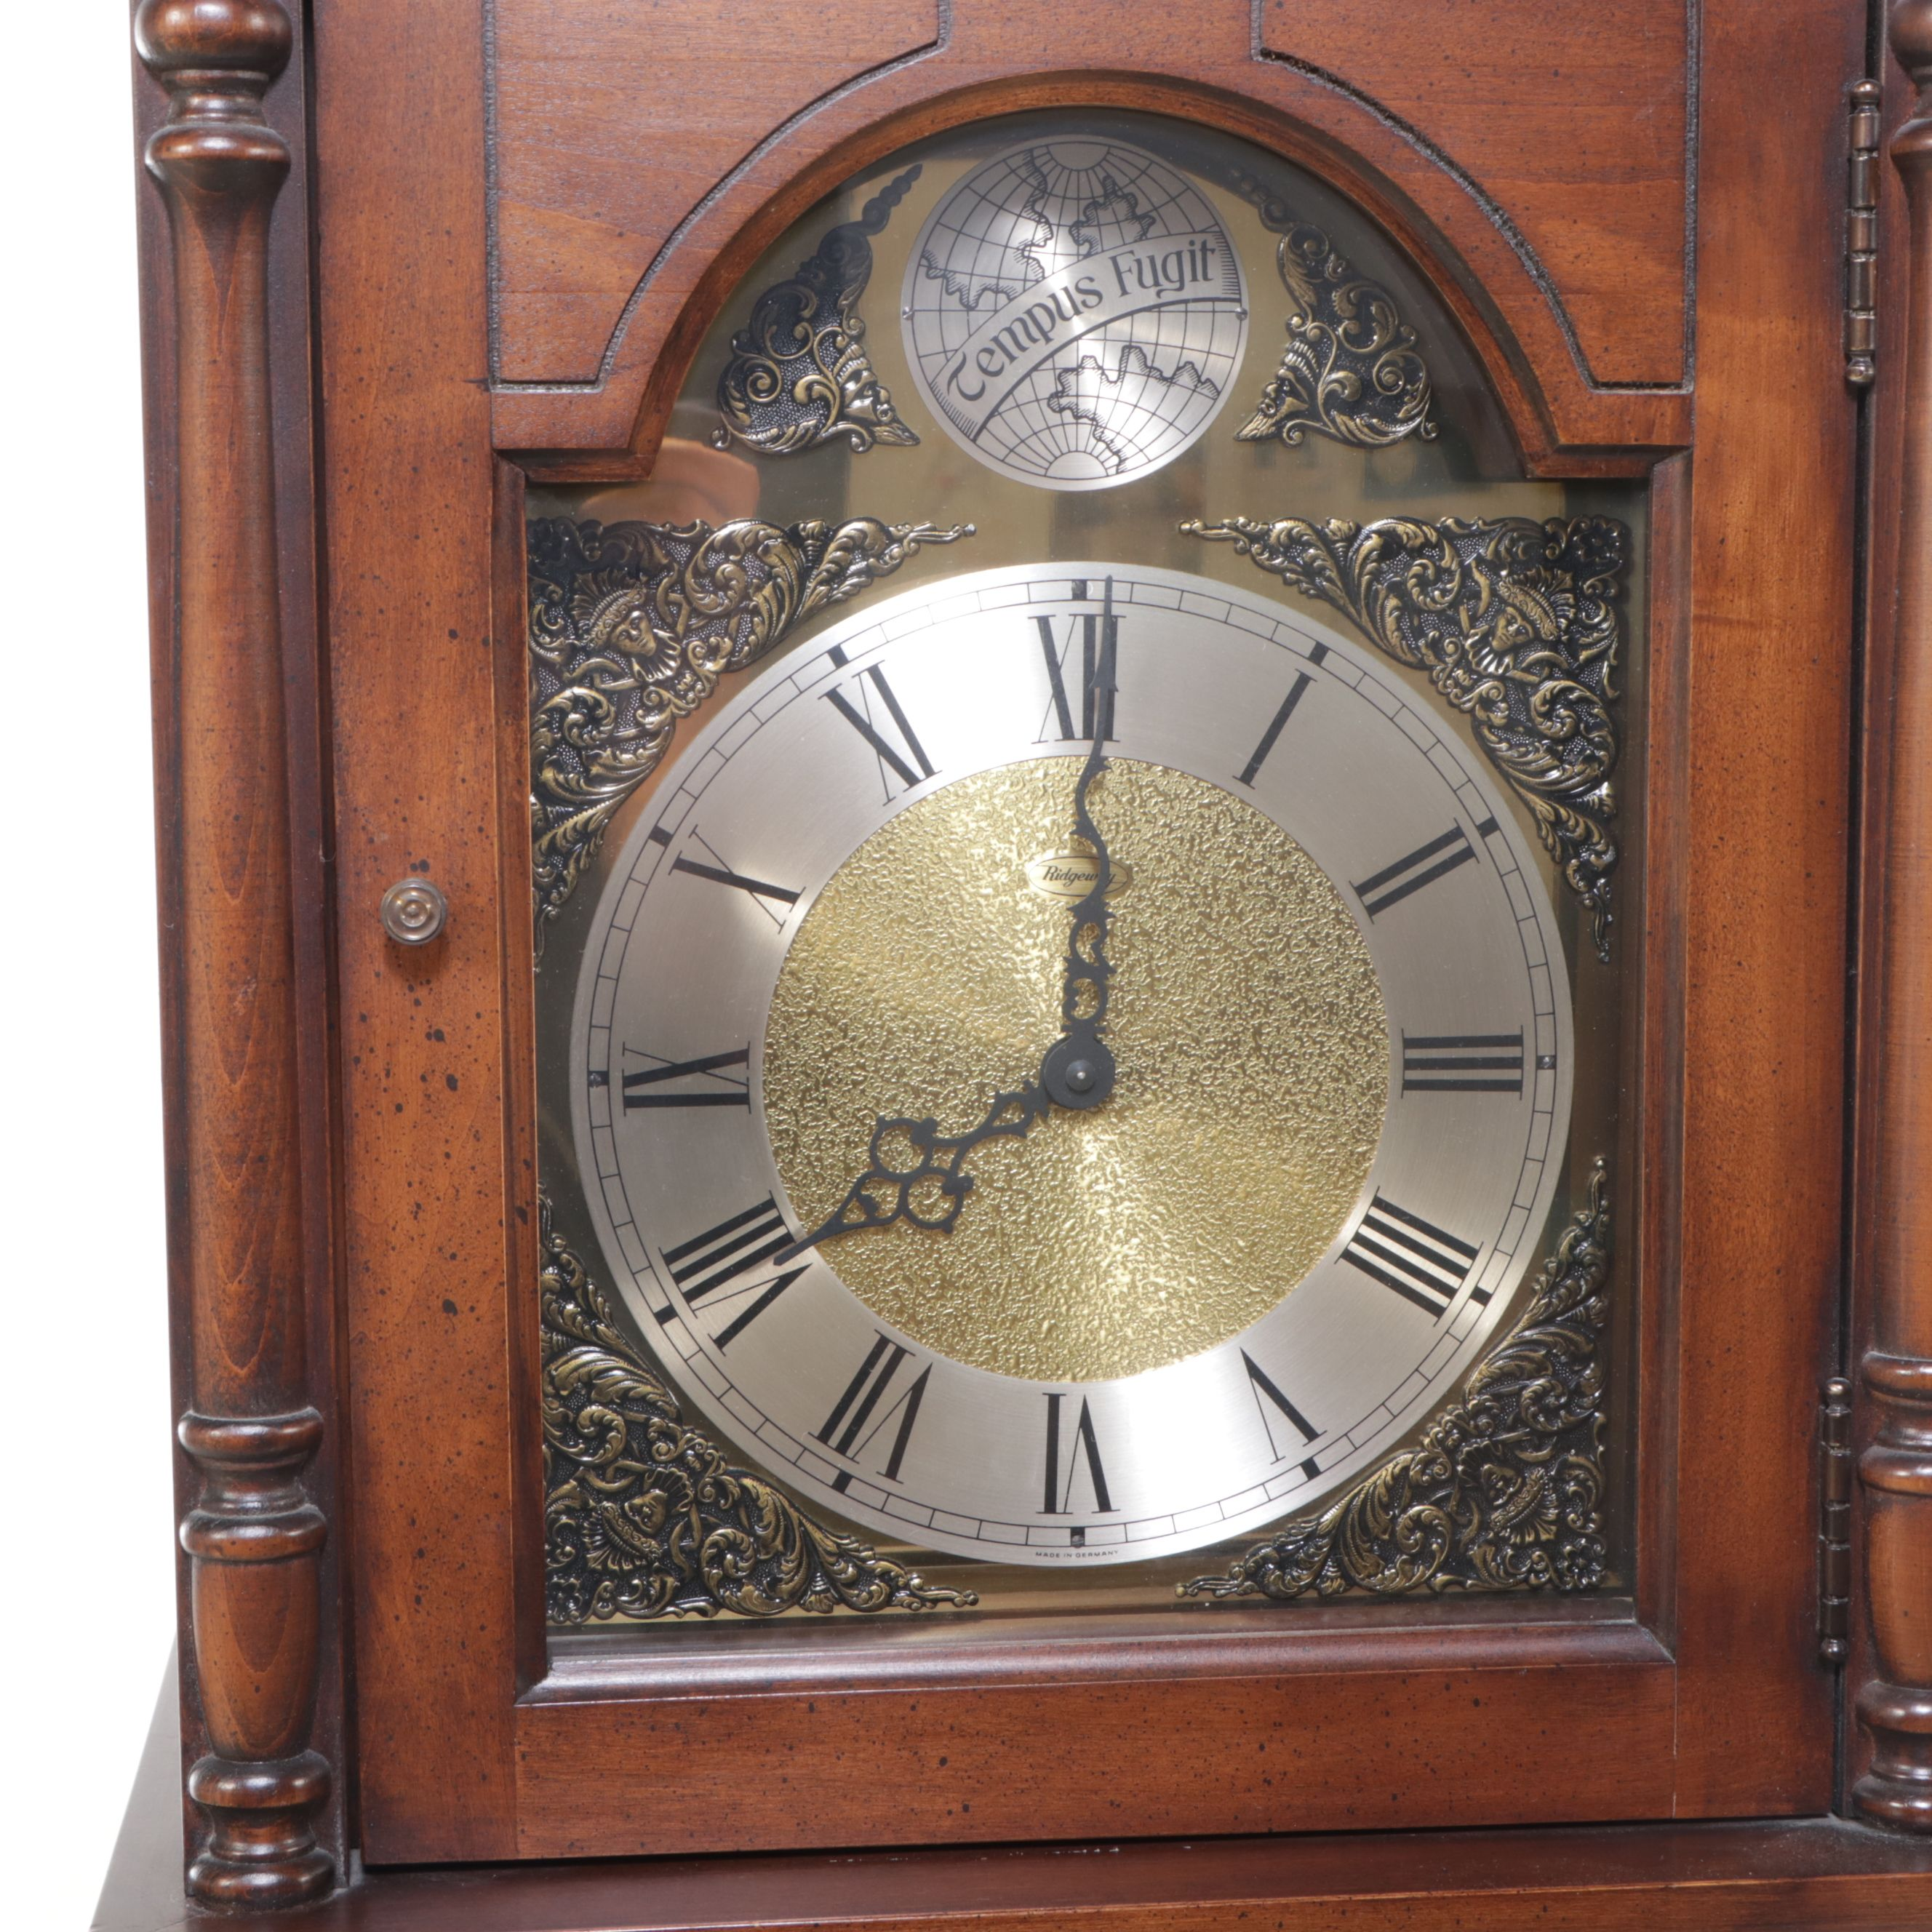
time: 8:00
